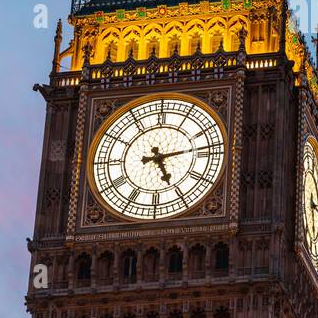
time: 5:13
